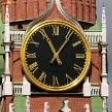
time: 11:06
